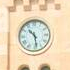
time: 10:28
